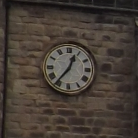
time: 12:36
